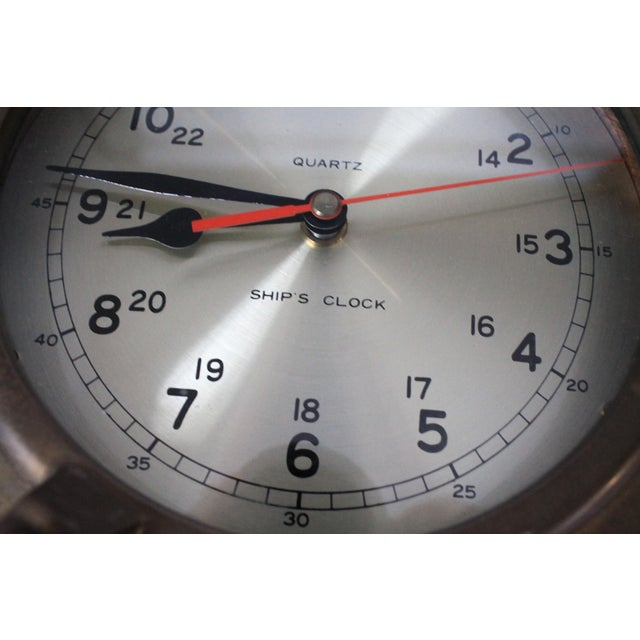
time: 8:46
